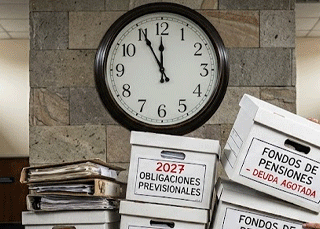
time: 11:55
